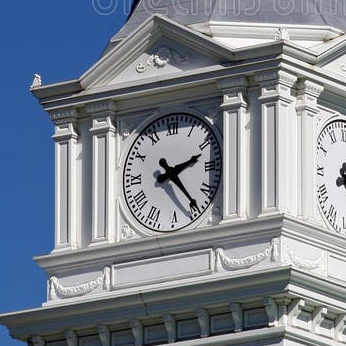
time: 2:23
